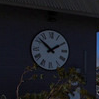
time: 1:51
